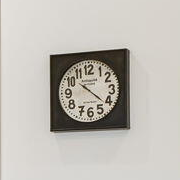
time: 10:21
